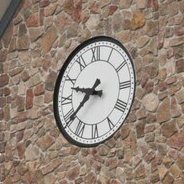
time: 9:39
